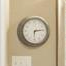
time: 6:13
